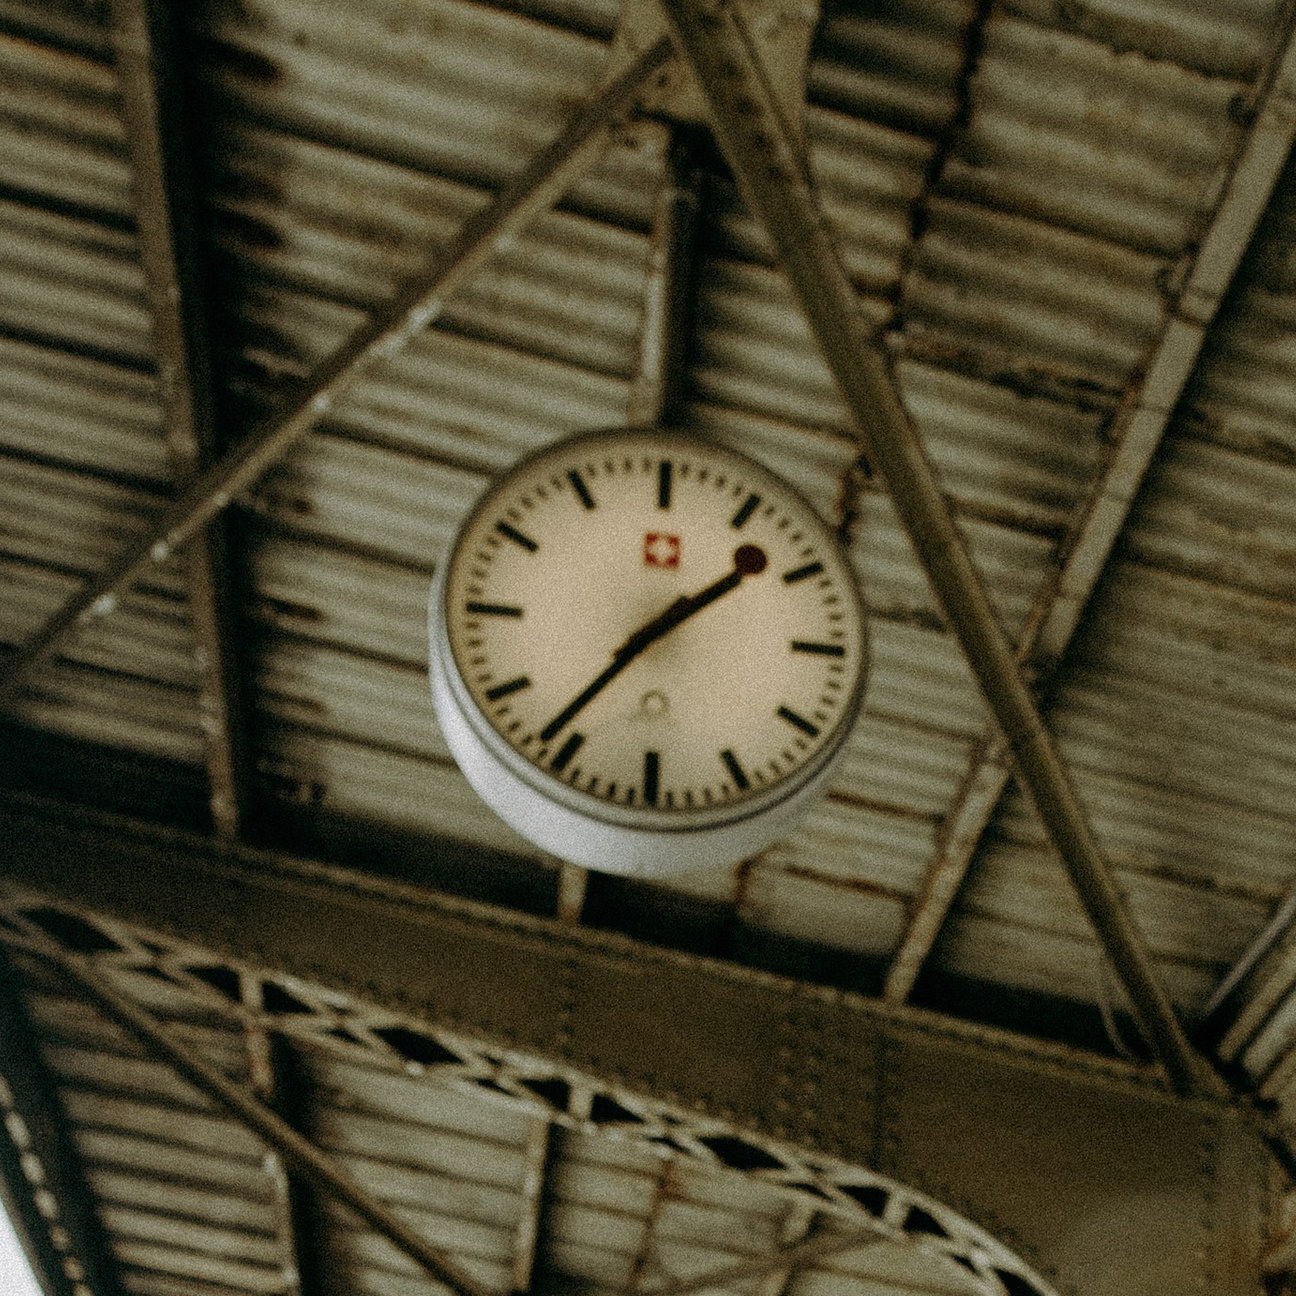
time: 1:36
